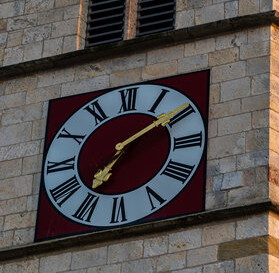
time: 7:09
